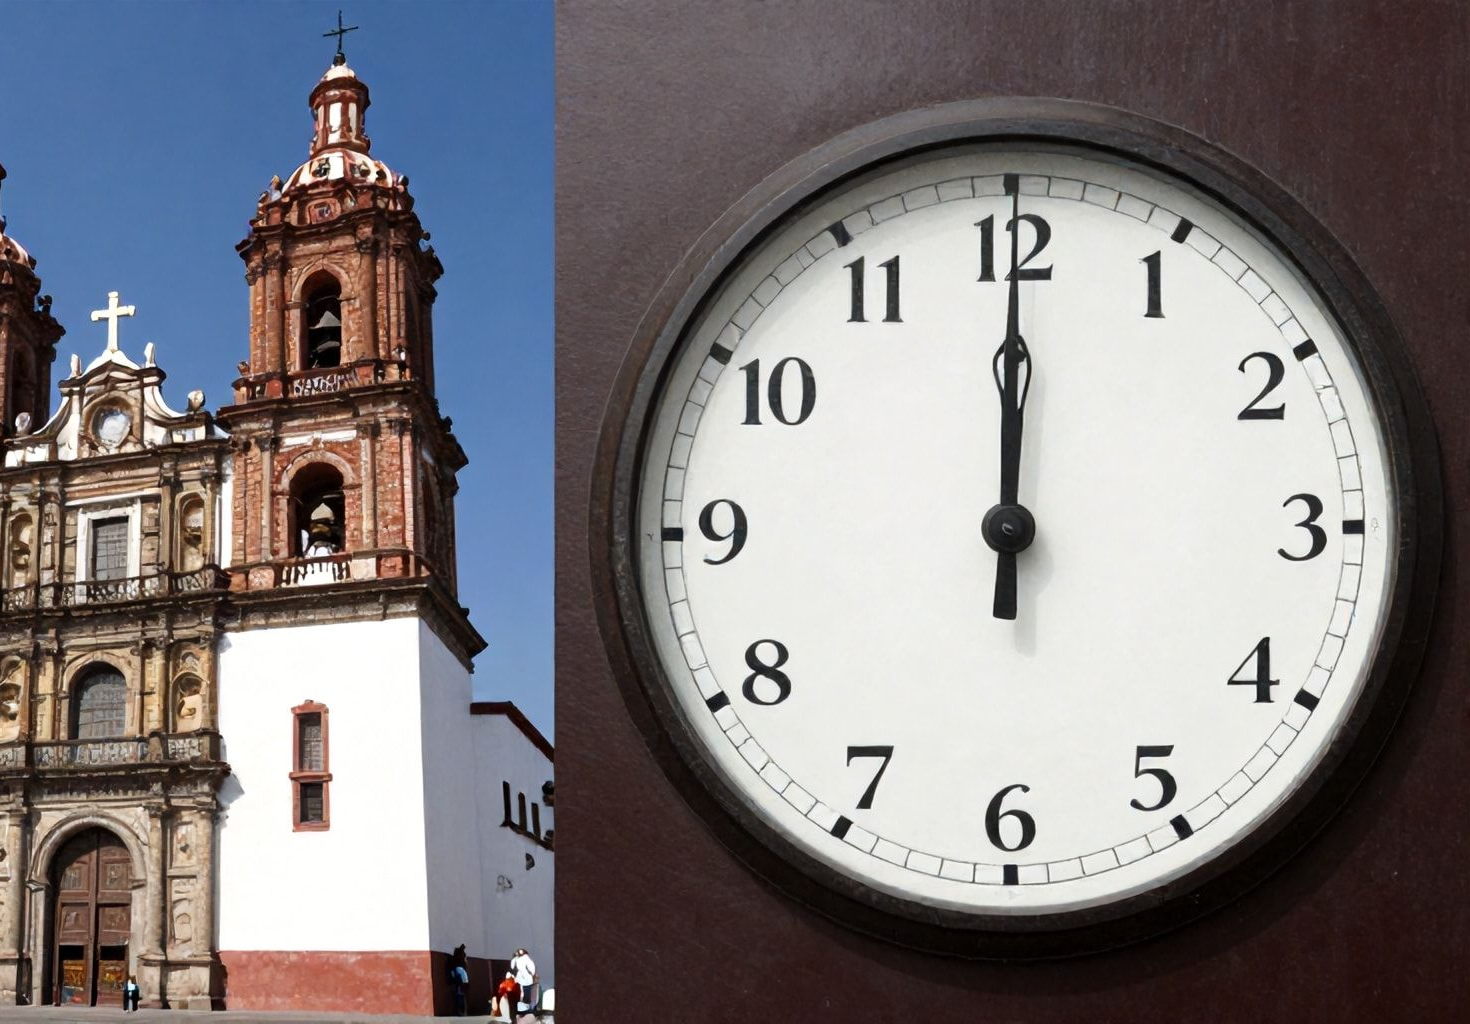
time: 12:00
